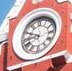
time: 9:42
